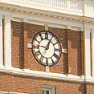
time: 12:46
